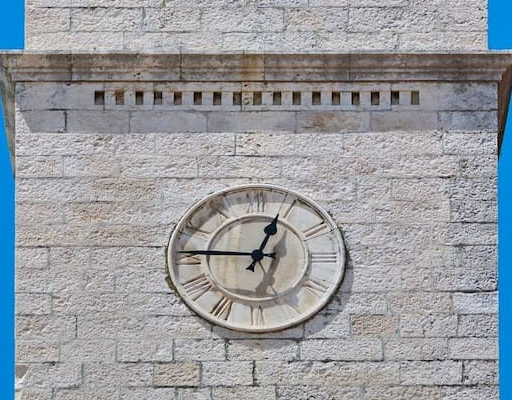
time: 12:46
